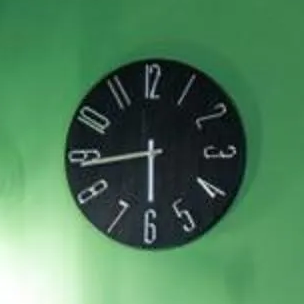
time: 5:43
